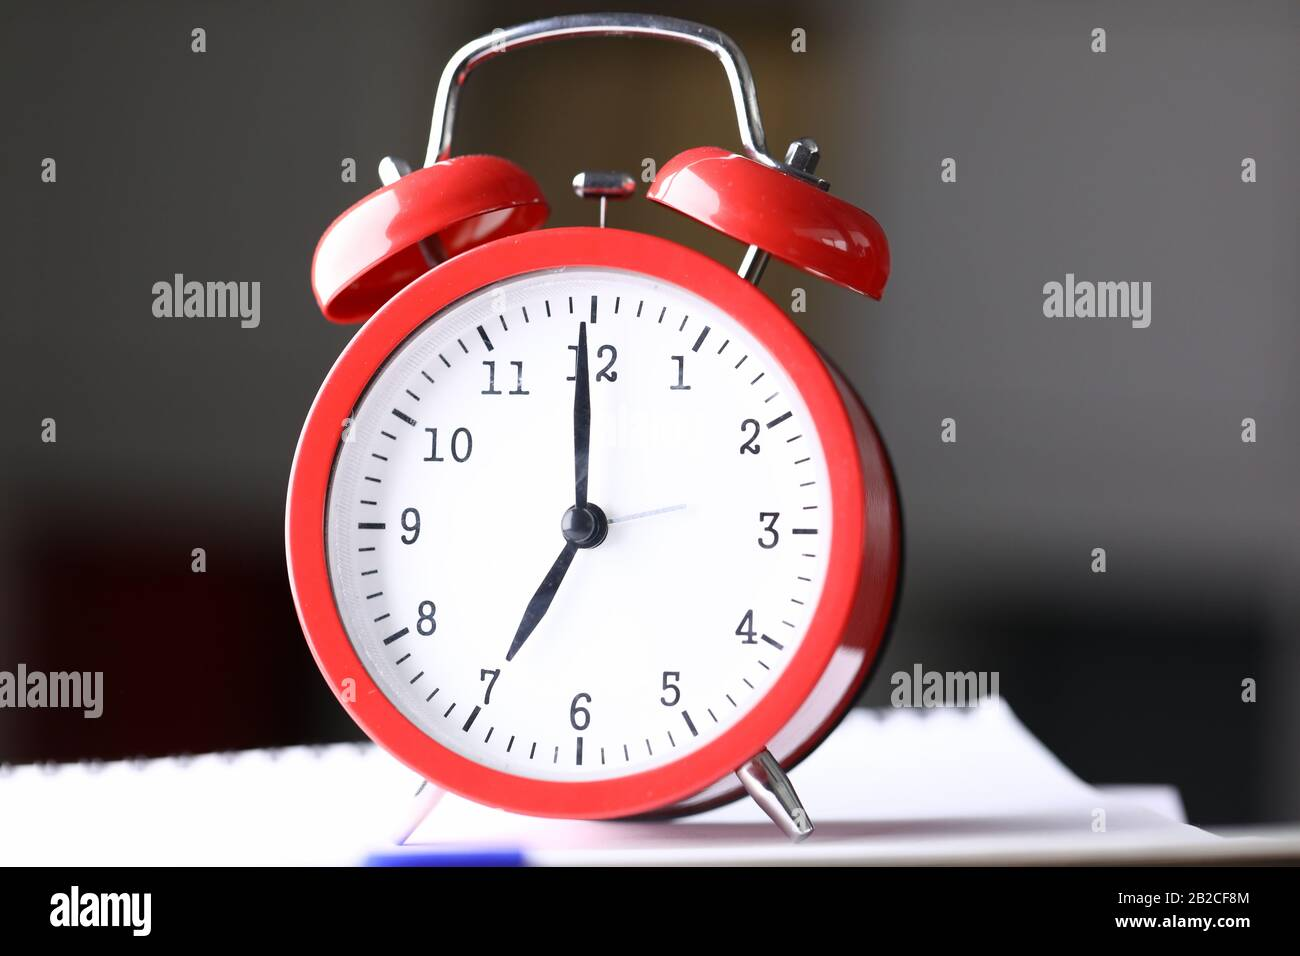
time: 6:59
